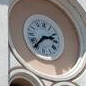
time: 2:36
